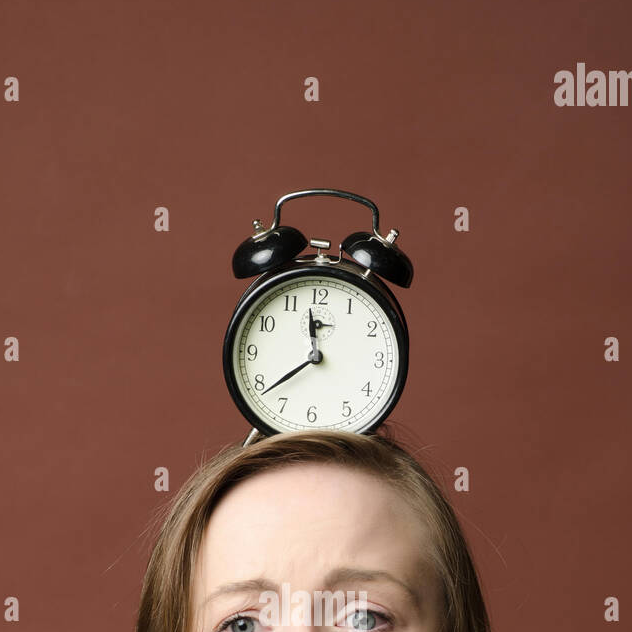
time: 11:38
